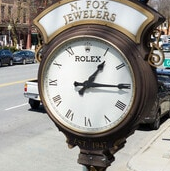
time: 1:14
